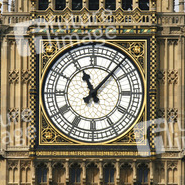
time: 11:07
